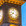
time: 8:38
